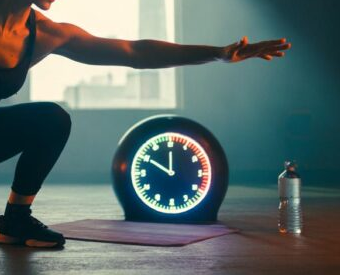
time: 11:50
